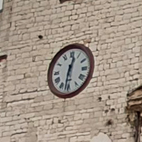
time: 12:31
